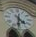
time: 4:31
